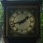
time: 1:42
